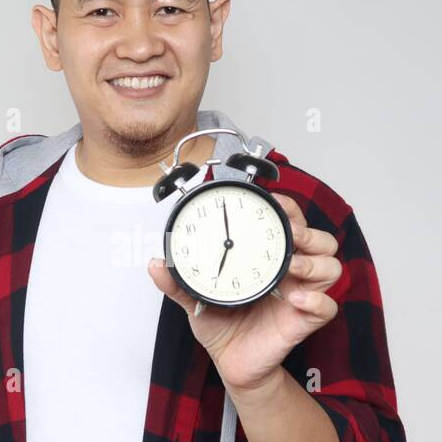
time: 7:01
